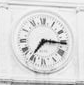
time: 7:15
